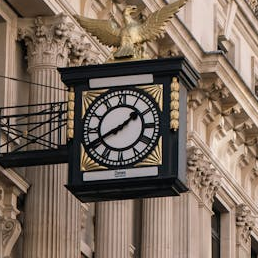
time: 1:40
